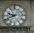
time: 9:41
